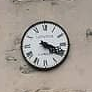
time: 4:18
